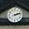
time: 2:12
